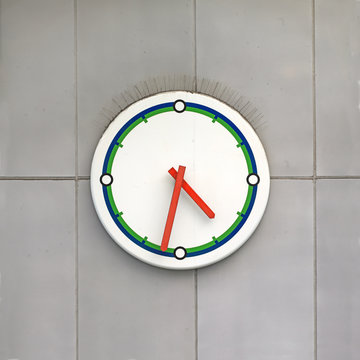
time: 4:32
